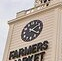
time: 1:18
